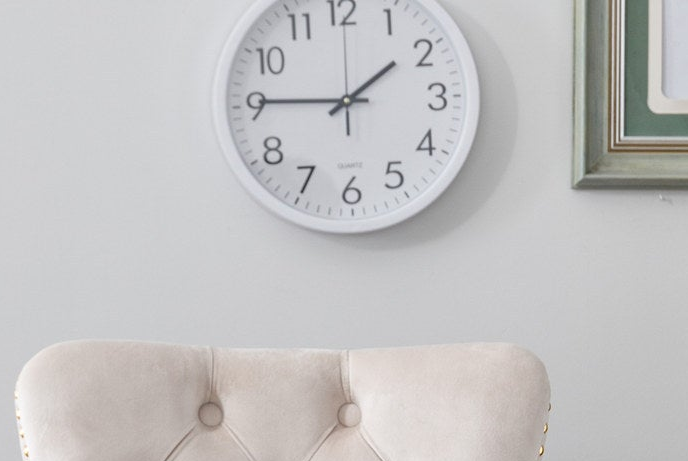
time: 1:45
